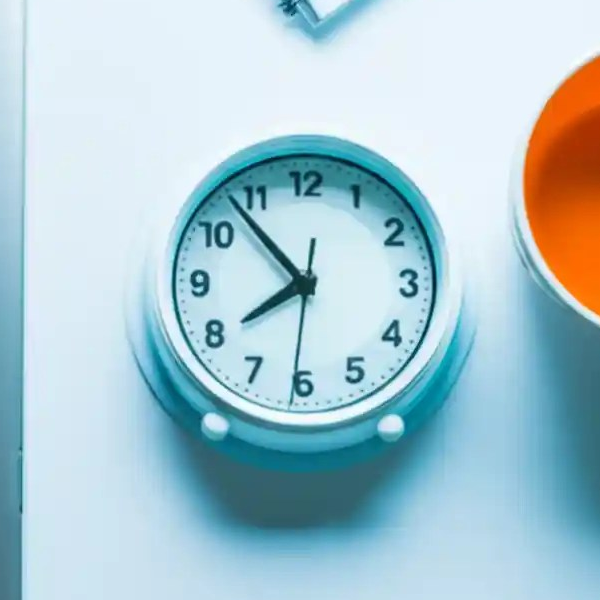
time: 7:53
